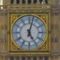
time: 5:02
